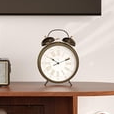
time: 10:11
